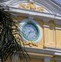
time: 7:12
